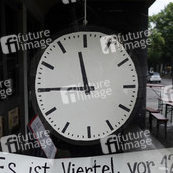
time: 11:44
